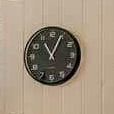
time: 11:04
